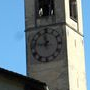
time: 11:46
